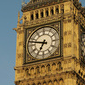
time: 6:47
